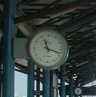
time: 11:18
